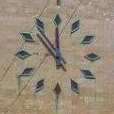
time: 11:53
